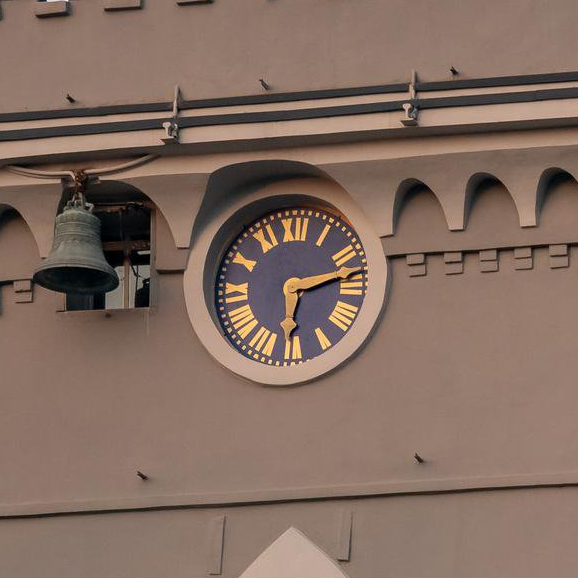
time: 6:13
